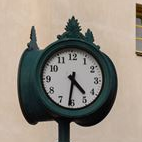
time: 4:31
